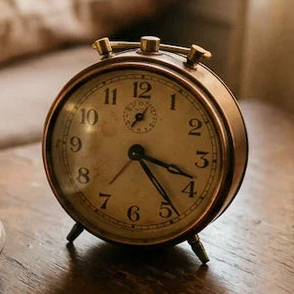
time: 3:23
